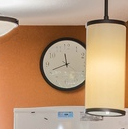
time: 11:41
